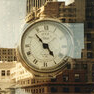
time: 4:53
